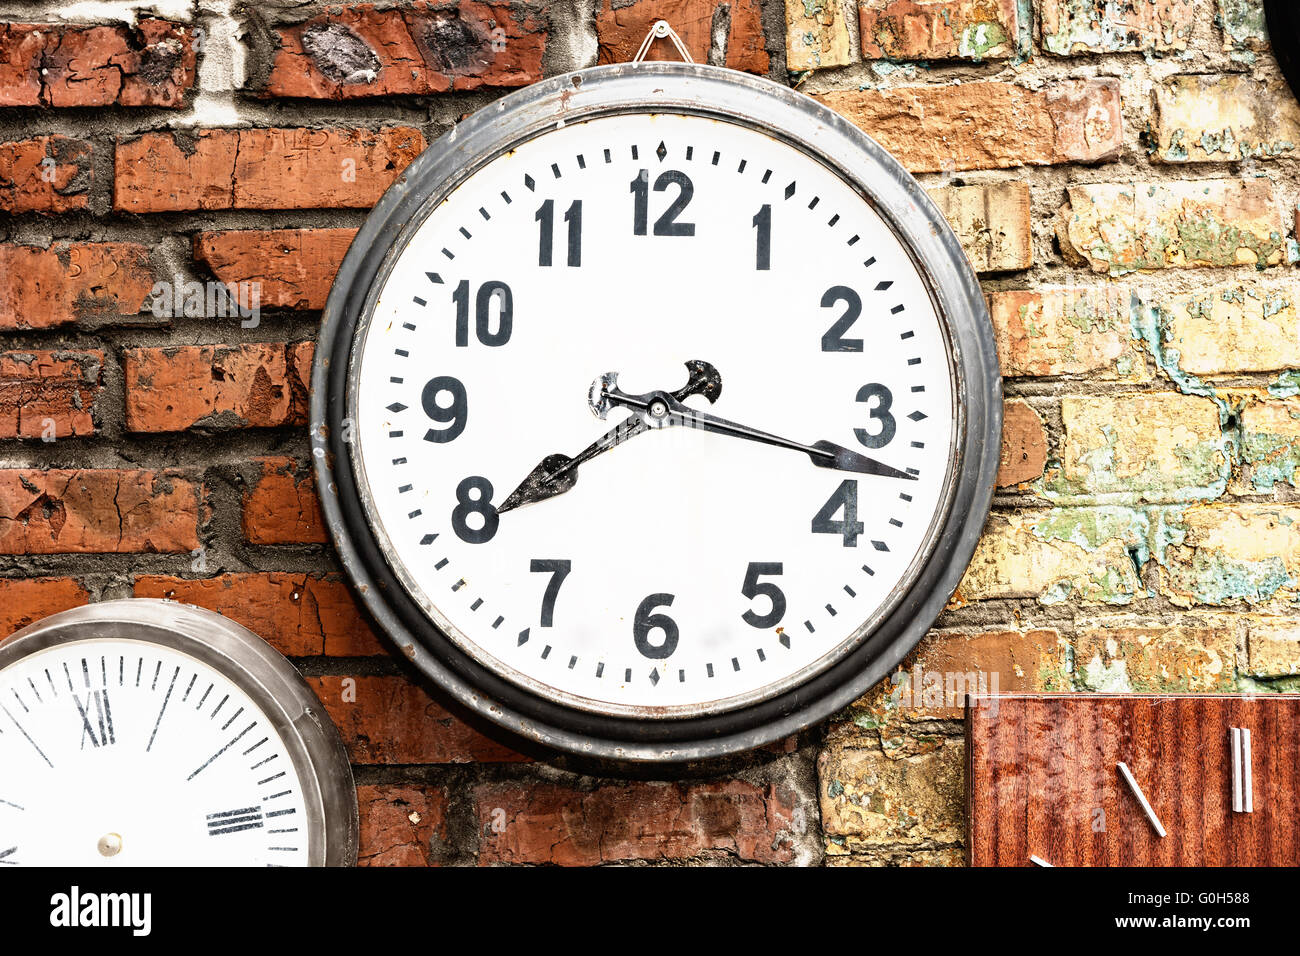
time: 8:17
